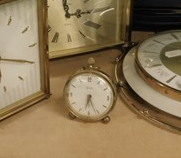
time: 6:26
